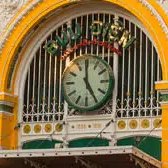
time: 4:59
